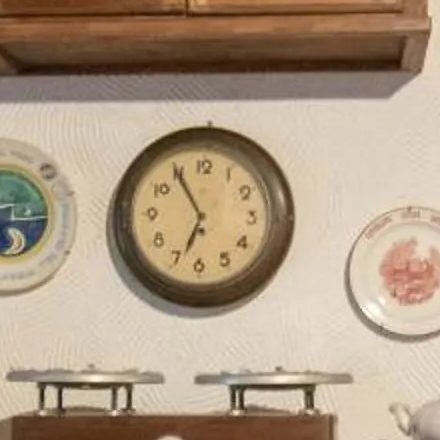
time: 6:54
